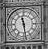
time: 11:28
